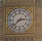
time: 2:38
